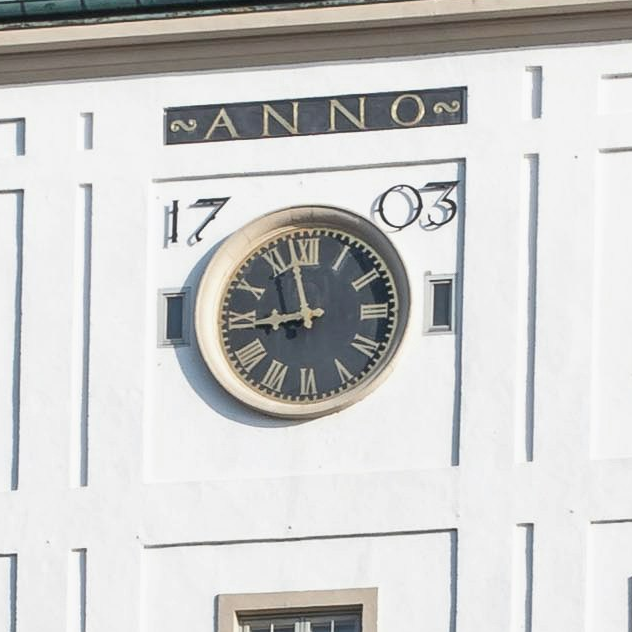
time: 8:57
